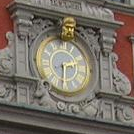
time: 2:31
